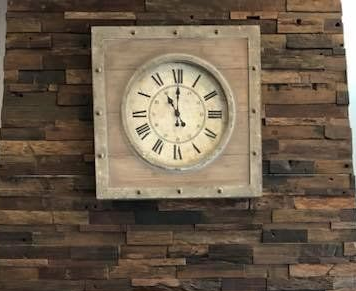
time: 11:00
